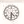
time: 4:31
